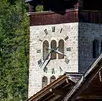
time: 7:18
